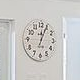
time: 12:04
